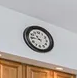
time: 10:45
